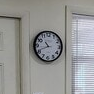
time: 10:41
